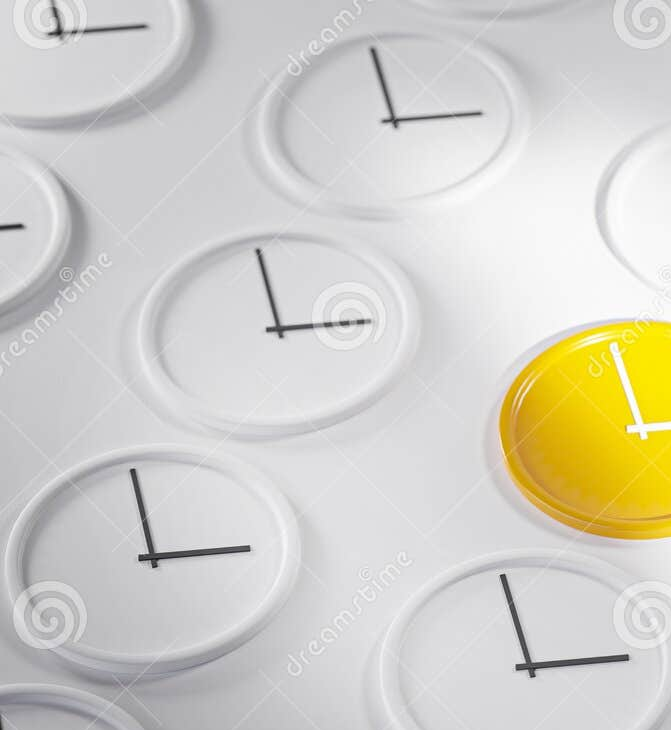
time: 2:57
